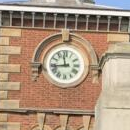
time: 11:43
